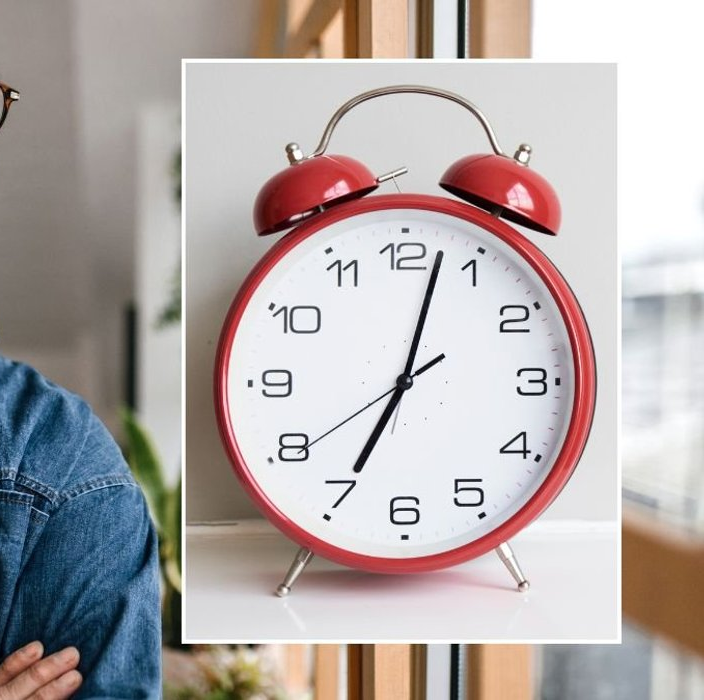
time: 7:02
